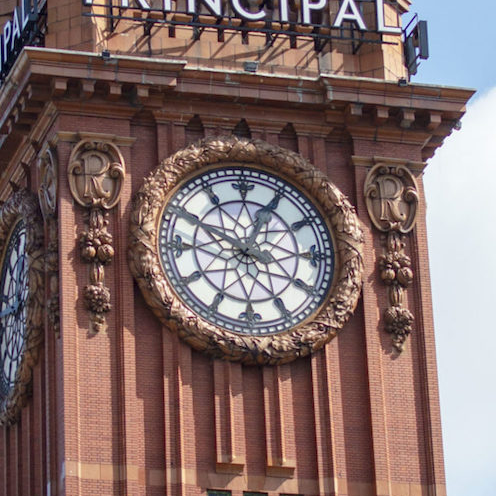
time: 12:49
